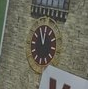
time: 11:55
